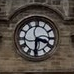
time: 3:31
